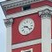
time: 9:22
